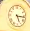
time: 5:15
